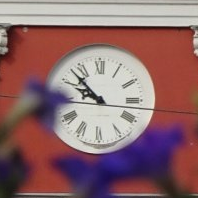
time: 9:52
